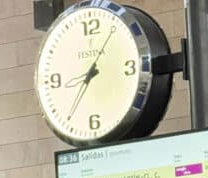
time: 7:06
